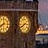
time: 2:40
